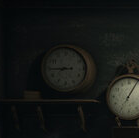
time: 8:44
